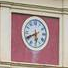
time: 5:40
